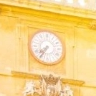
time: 7:35
